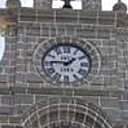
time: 1:45
